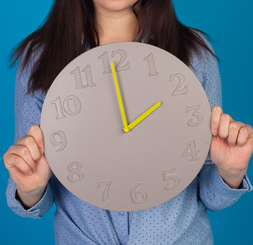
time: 1:59
